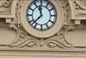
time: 11:37
